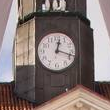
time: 12:18
